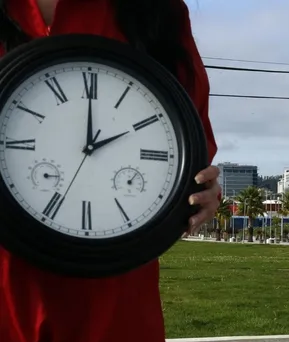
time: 2:00
